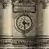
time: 3:28
